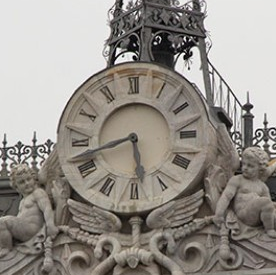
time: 5:42
